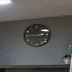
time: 2:45
